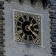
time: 1:21
